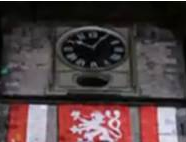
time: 10:04
